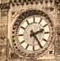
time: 2:24
